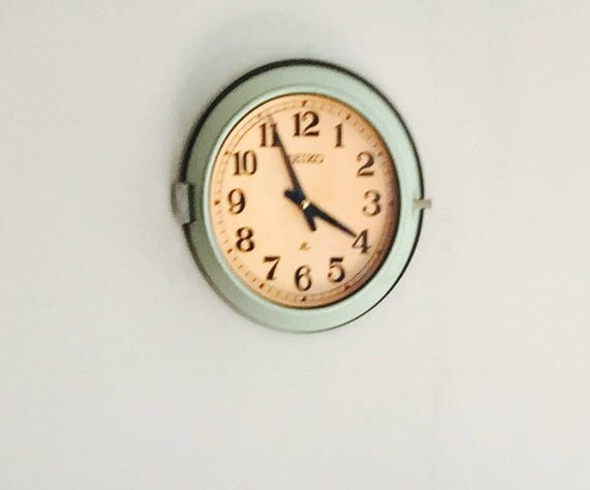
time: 3:55
